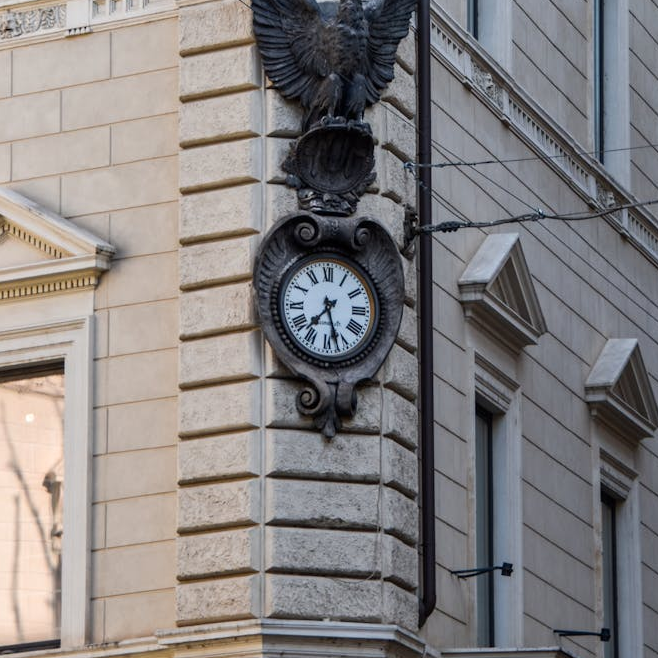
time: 7:27
